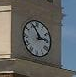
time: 2:55
